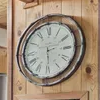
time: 2:29
